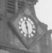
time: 11:28
